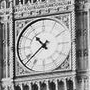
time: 10:38
